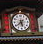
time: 5:38
